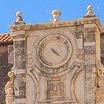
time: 4:22
